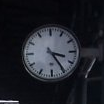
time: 3:24
